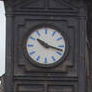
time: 10:17
